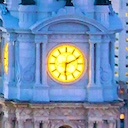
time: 6:10
